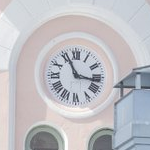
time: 11:16
